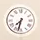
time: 7:32
